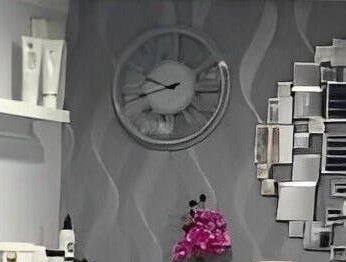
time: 9:42
